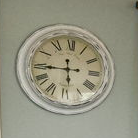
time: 5:44
